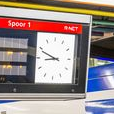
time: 8:48
